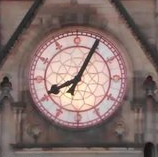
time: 8:04
